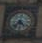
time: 4:37
